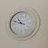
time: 10:48
